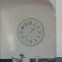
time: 1:37
